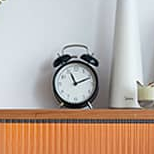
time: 11:11
